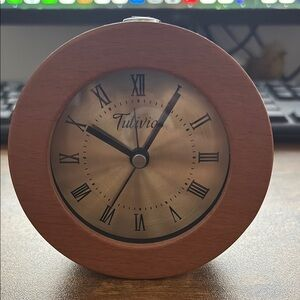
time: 10:05
